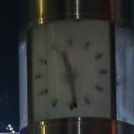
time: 11:28
